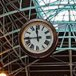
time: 11:43
